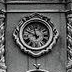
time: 11:49
